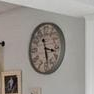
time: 3:28
